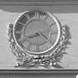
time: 8:21
